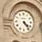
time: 4:23
